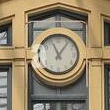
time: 11:06
